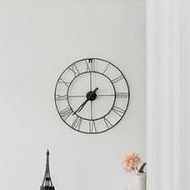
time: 7:37
